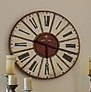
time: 6:17
